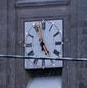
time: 4:57
